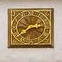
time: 2:39
